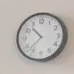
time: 10:37
